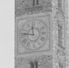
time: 11:46
